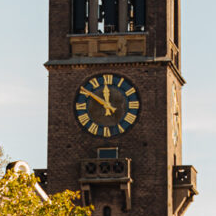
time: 11:50
